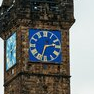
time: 2:33
